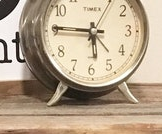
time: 5:45
